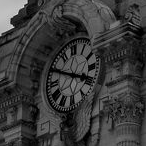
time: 3:49
